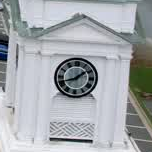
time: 1:41
